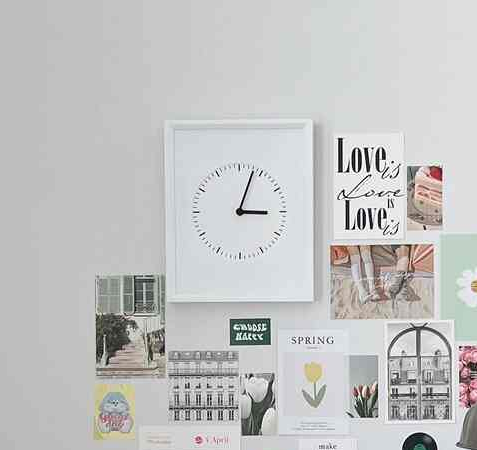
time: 3:03
